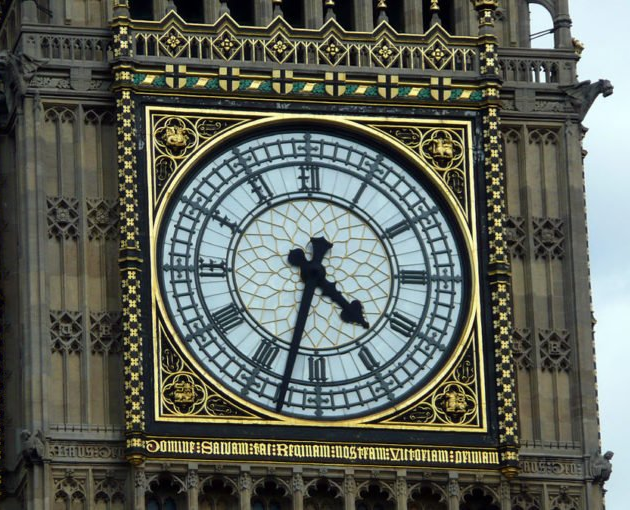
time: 4:32
